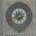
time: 6:41
